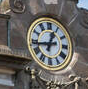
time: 12:43
